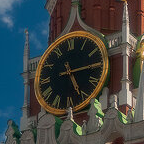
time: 5:14
